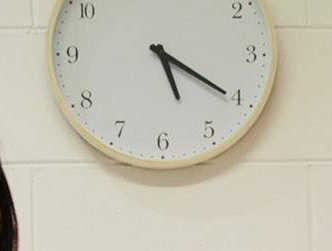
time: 5:20
